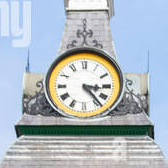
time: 3:23
